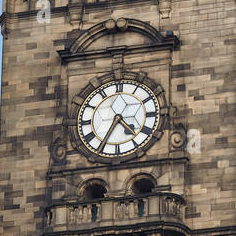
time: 4:35
